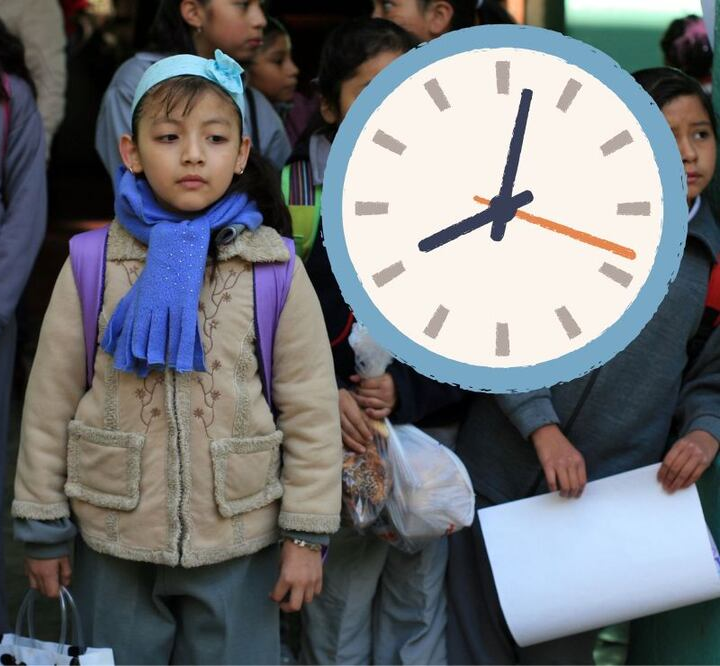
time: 8:01
